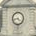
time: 4:42
